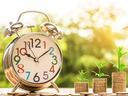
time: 10:08
